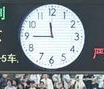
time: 11:44
